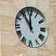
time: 11:54
